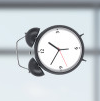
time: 10:35
